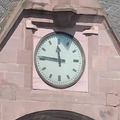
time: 11:46
